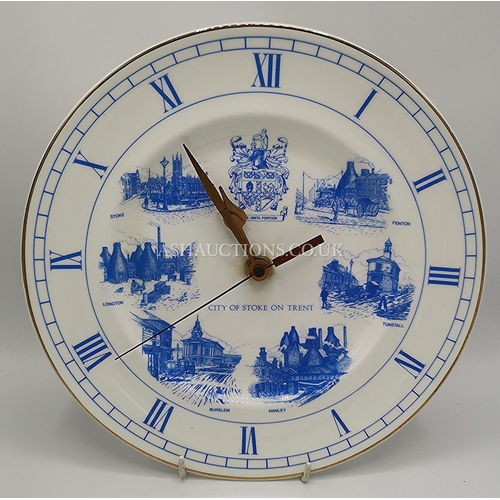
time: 1:54
